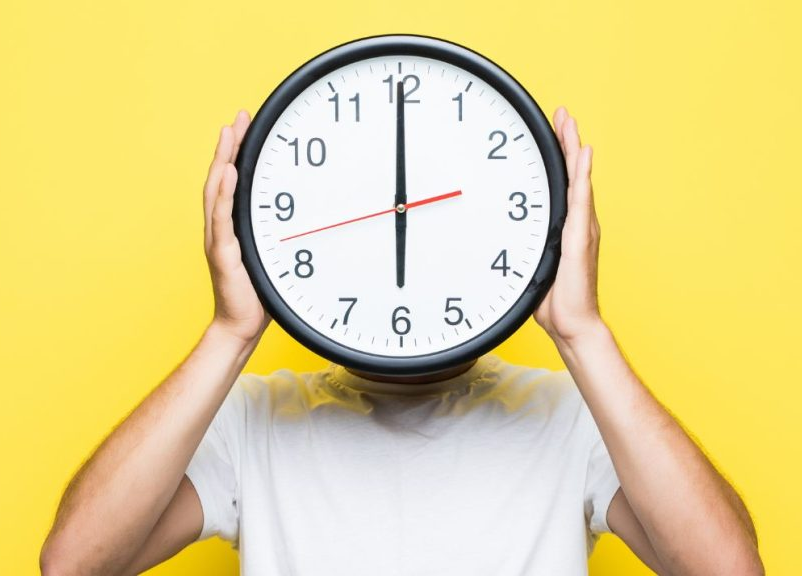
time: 5:59
